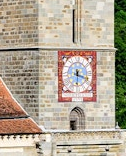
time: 3:29
